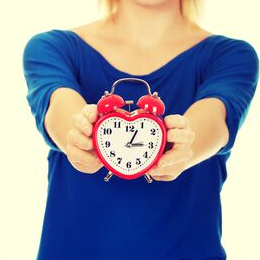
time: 3:04
